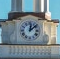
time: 12:07
